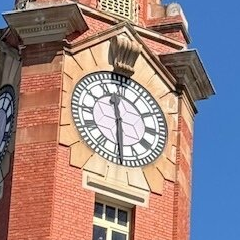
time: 11:29
